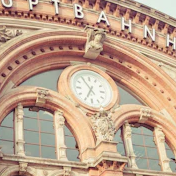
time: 6:54
